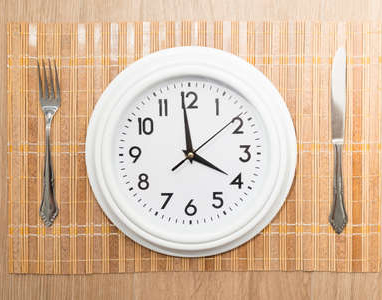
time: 3:58
